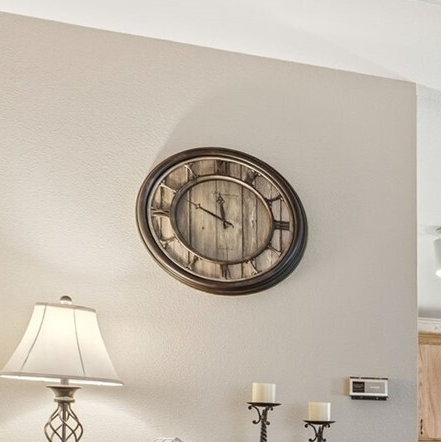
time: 11:49
